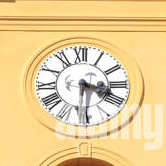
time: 3:30
